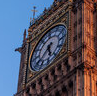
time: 5:38
